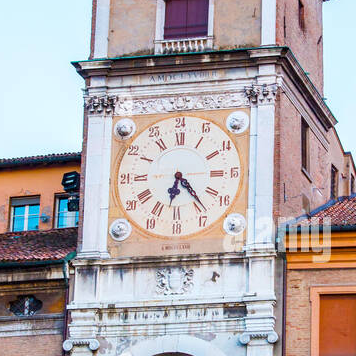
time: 6:23
